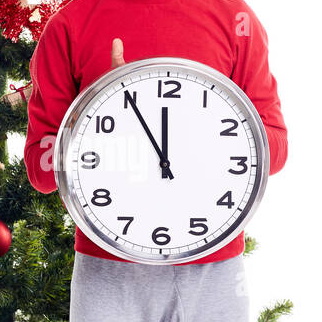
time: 11:54
